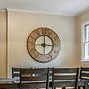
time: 3:00
